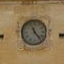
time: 11:23
